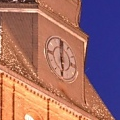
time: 5:59
